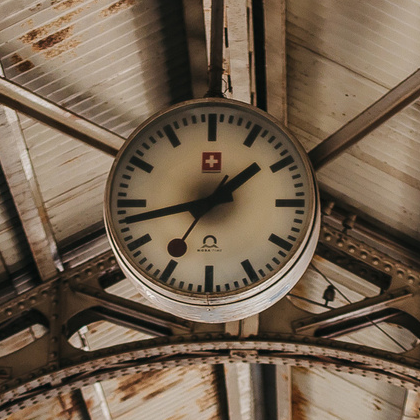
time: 1:42
